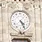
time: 4:26
